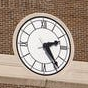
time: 2:24
